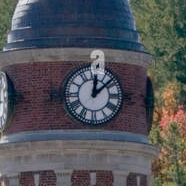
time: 12:07
